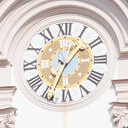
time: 1:34
